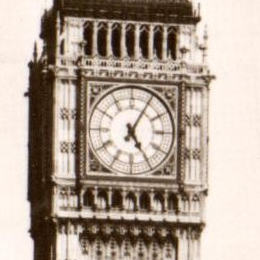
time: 5:05
